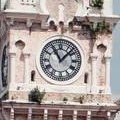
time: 11:07
